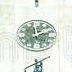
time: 1:59
